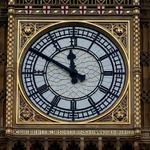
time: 11:49
